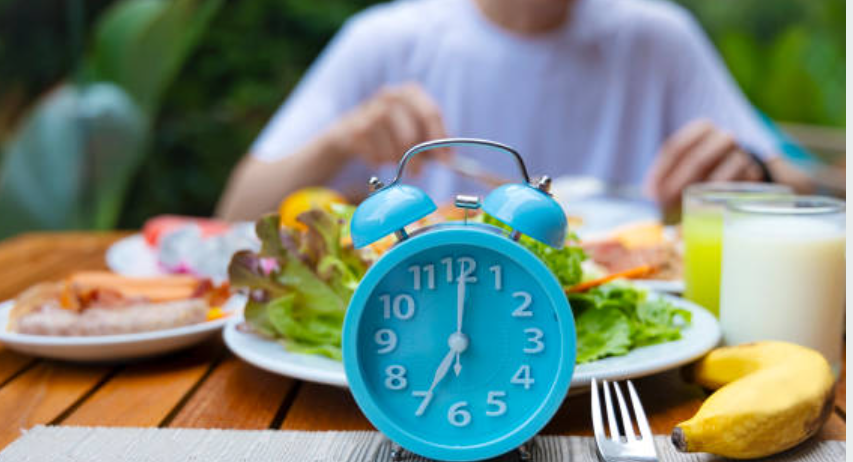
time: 7:00
